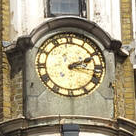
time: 2:18
